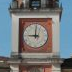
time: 9:00
